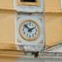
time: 1:52
